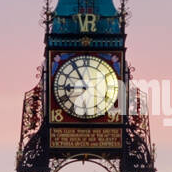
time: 8:54
